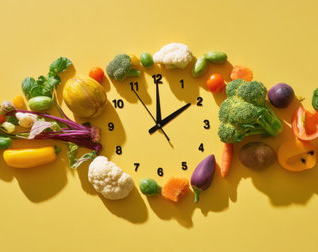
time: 1:59
